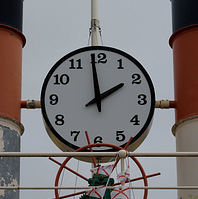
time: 1:58
